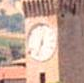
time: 12:33
